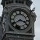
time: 3:39
